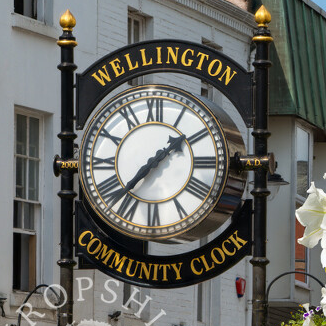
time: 1:36
